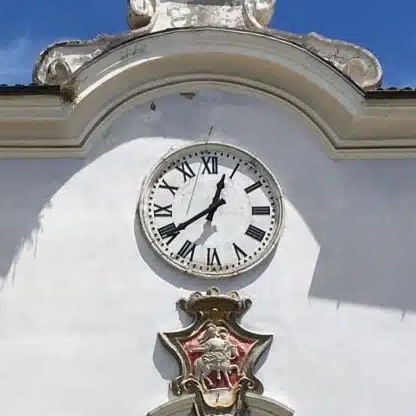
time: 12:39
